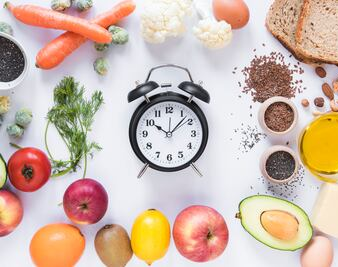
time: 10:07
